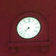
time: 7:37
